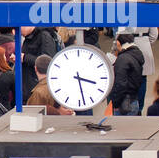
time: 3:28
